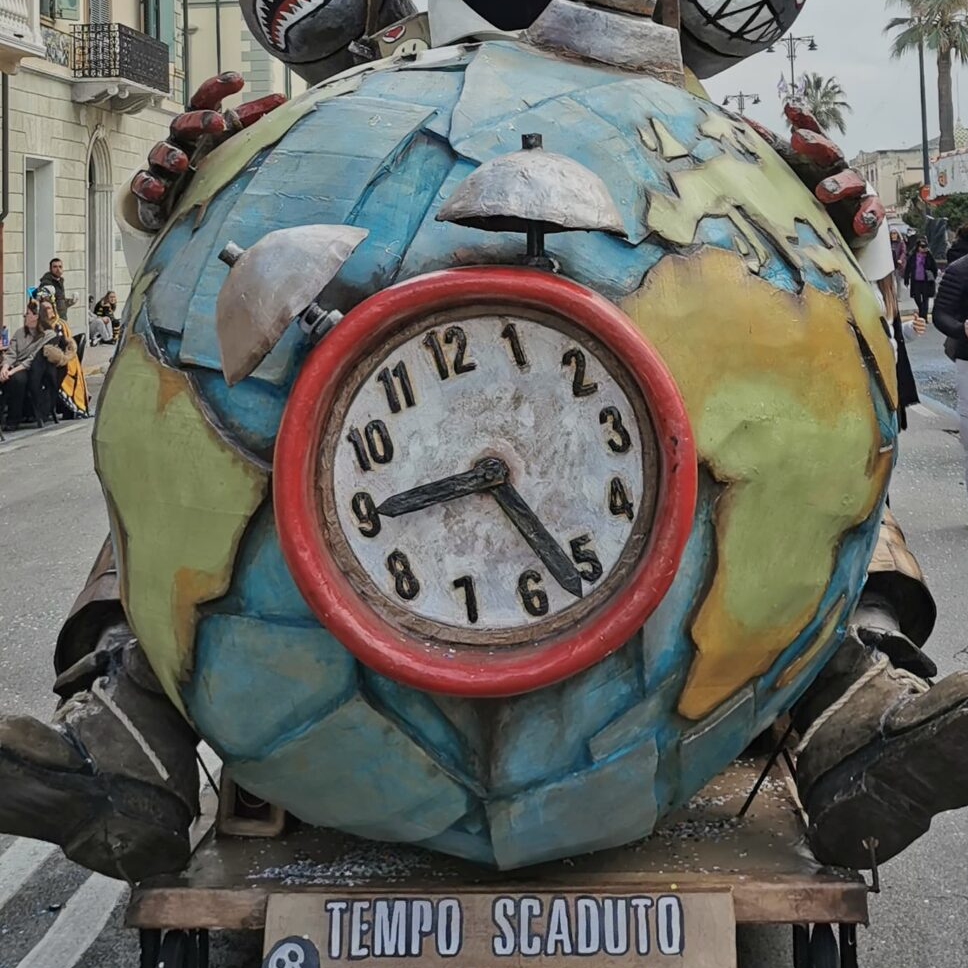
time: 4:45
